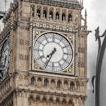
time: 7:34
